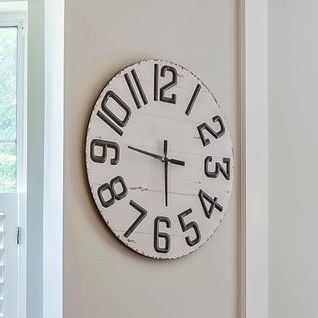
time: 5:46
